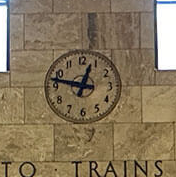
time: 12:47
